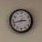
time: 2:42
